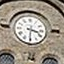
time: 3:30
